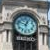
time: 12:48
